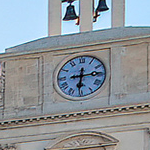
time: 6:14
